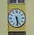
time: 5:28
